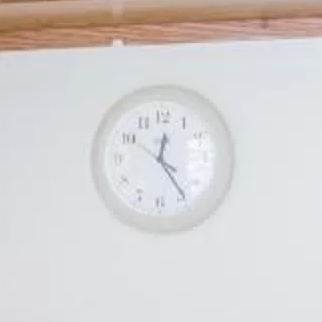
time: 12:23
